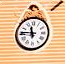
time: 11:46
